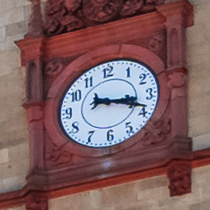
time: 3:18
